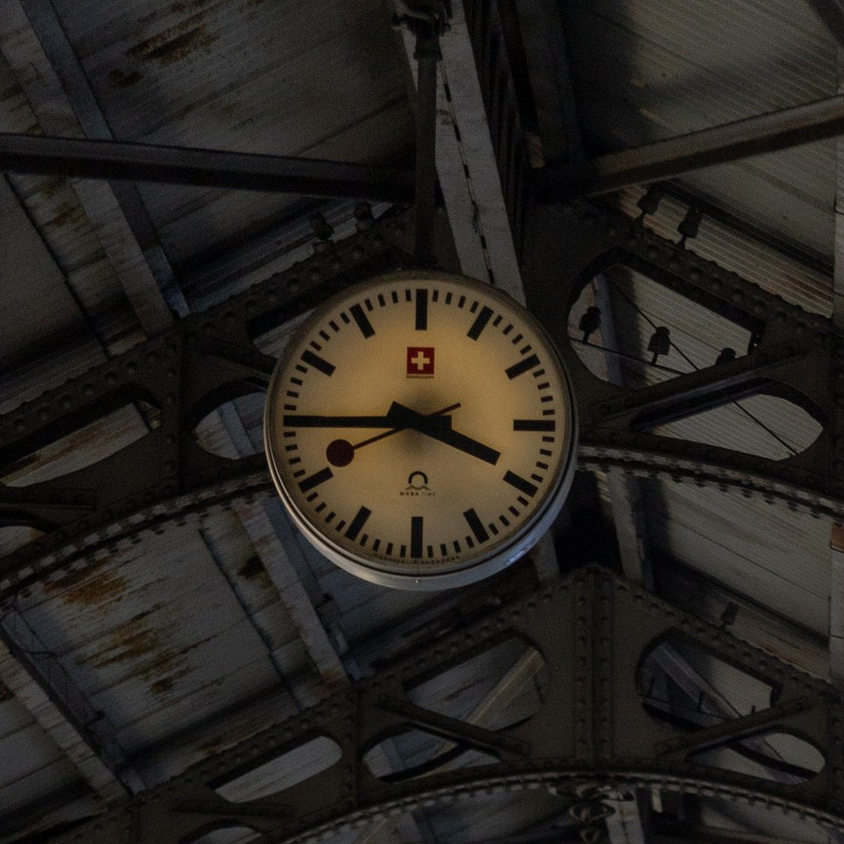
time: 3:44
